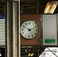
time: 10:12
